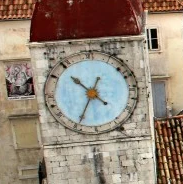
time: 10:34
